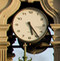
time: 5:23
